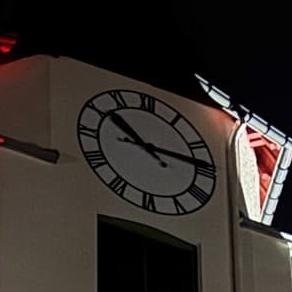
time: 10:14
